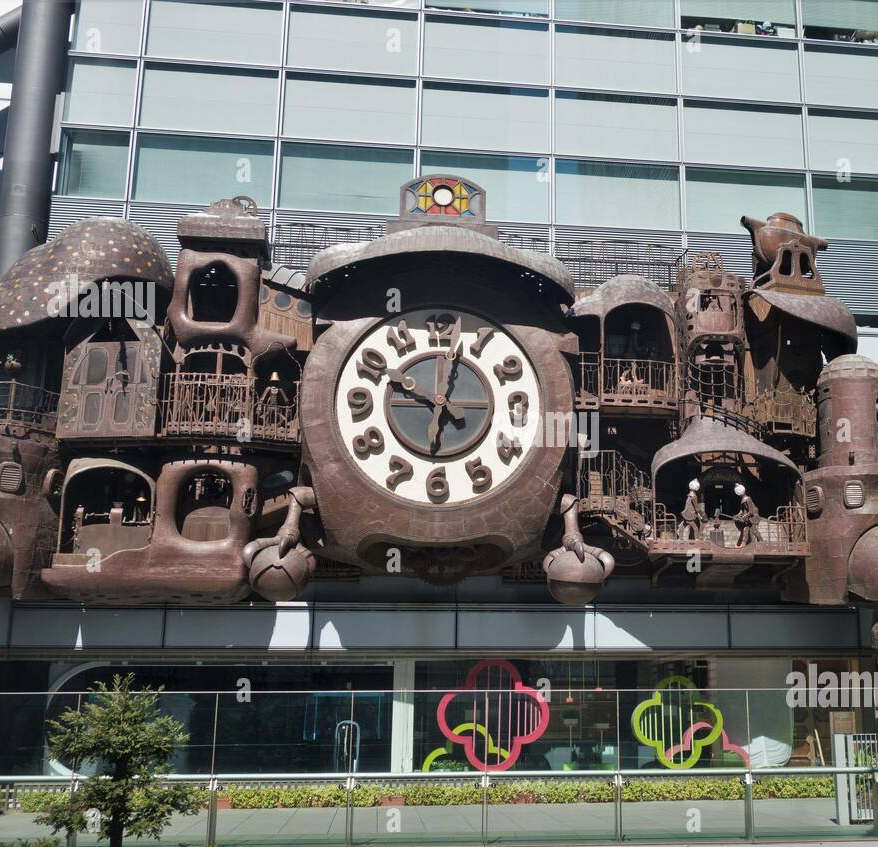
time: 10:02
